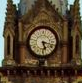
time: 5:17
